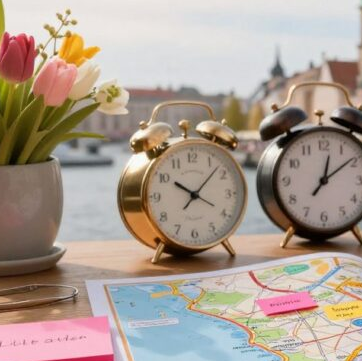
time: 10:07
